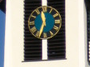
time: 11:33
